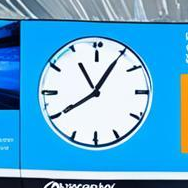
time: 8:05
